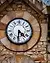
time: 4:30
